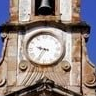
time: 9:34
